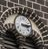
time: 3:13
